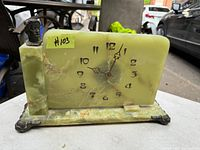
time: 5:03
